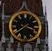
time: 3:38
